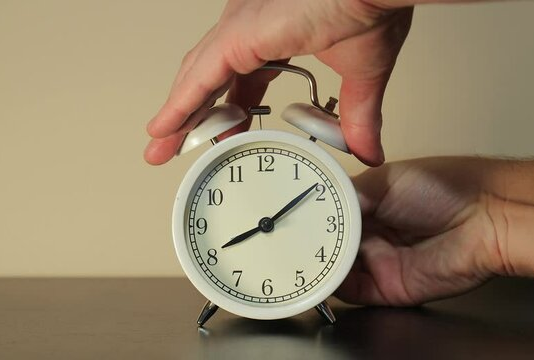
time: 8:09
